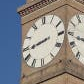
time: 8:43
